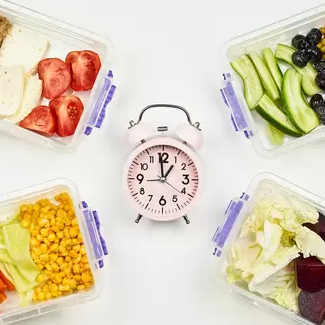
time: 12:58
